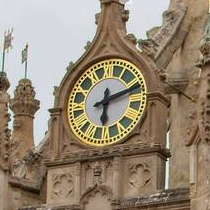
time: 6:11
